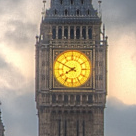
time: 7:49
